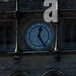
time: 12:24
